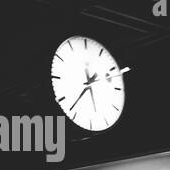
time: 1:36
